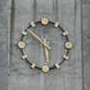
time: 5:51
